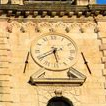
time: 5:40
